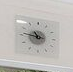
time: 10:46
